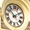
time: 1:52
